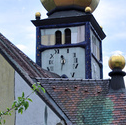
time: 11:32
